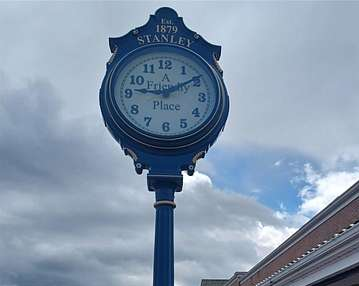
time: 9:10
